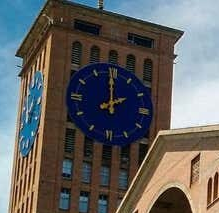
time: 1:59
